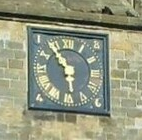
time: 5:53
